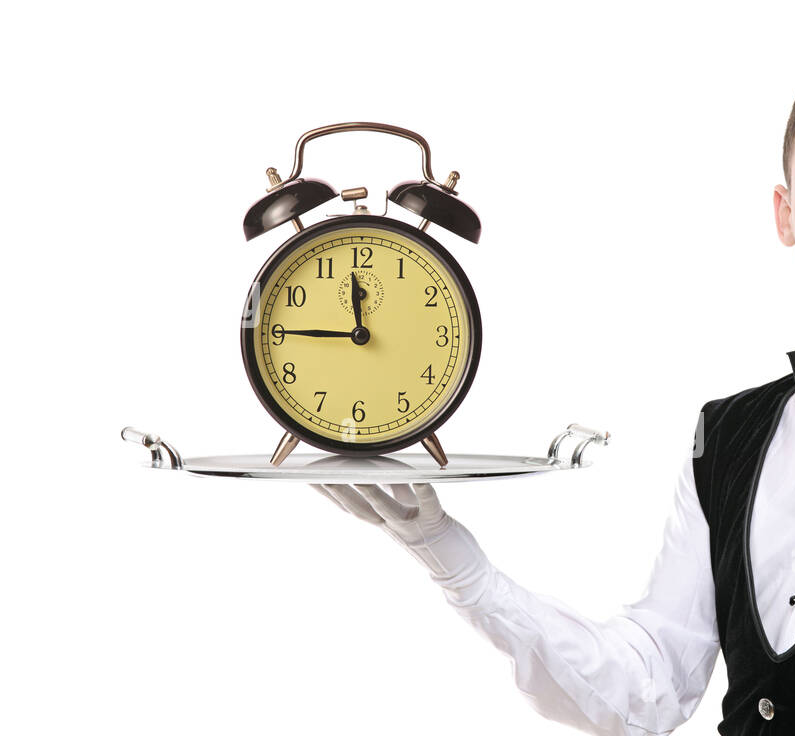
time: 11:45
